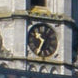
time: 10:34
